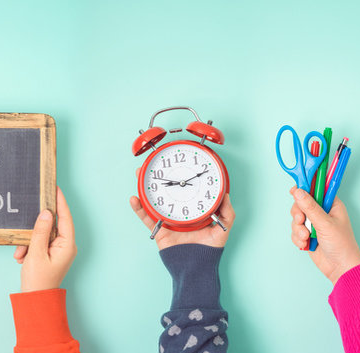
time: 9:11
